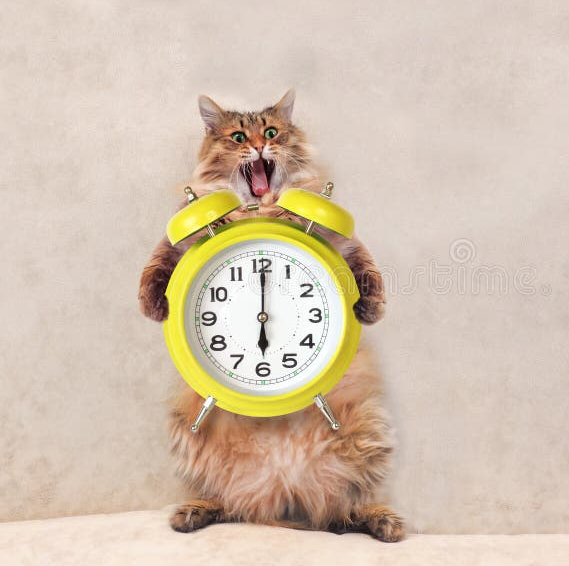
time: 6:00
